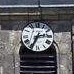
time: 2:34
